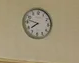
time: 7:47
